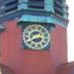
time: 2:40
